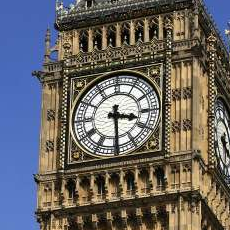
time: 3:29
